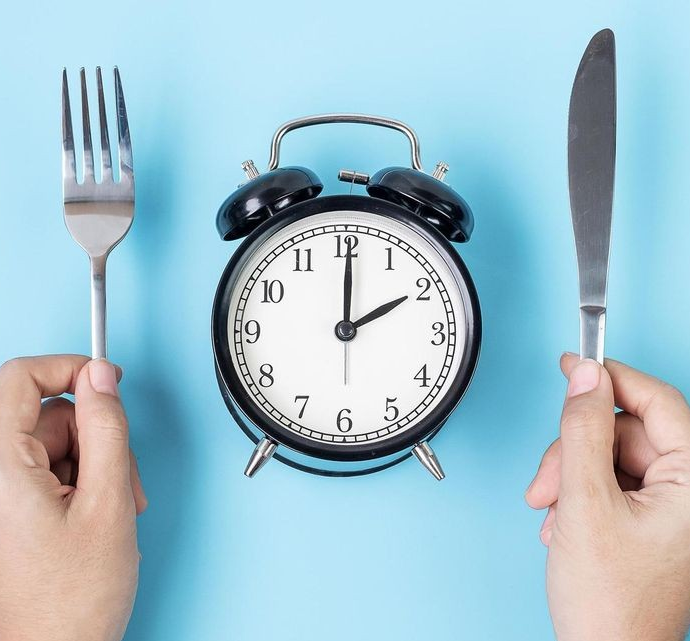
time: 2:00
